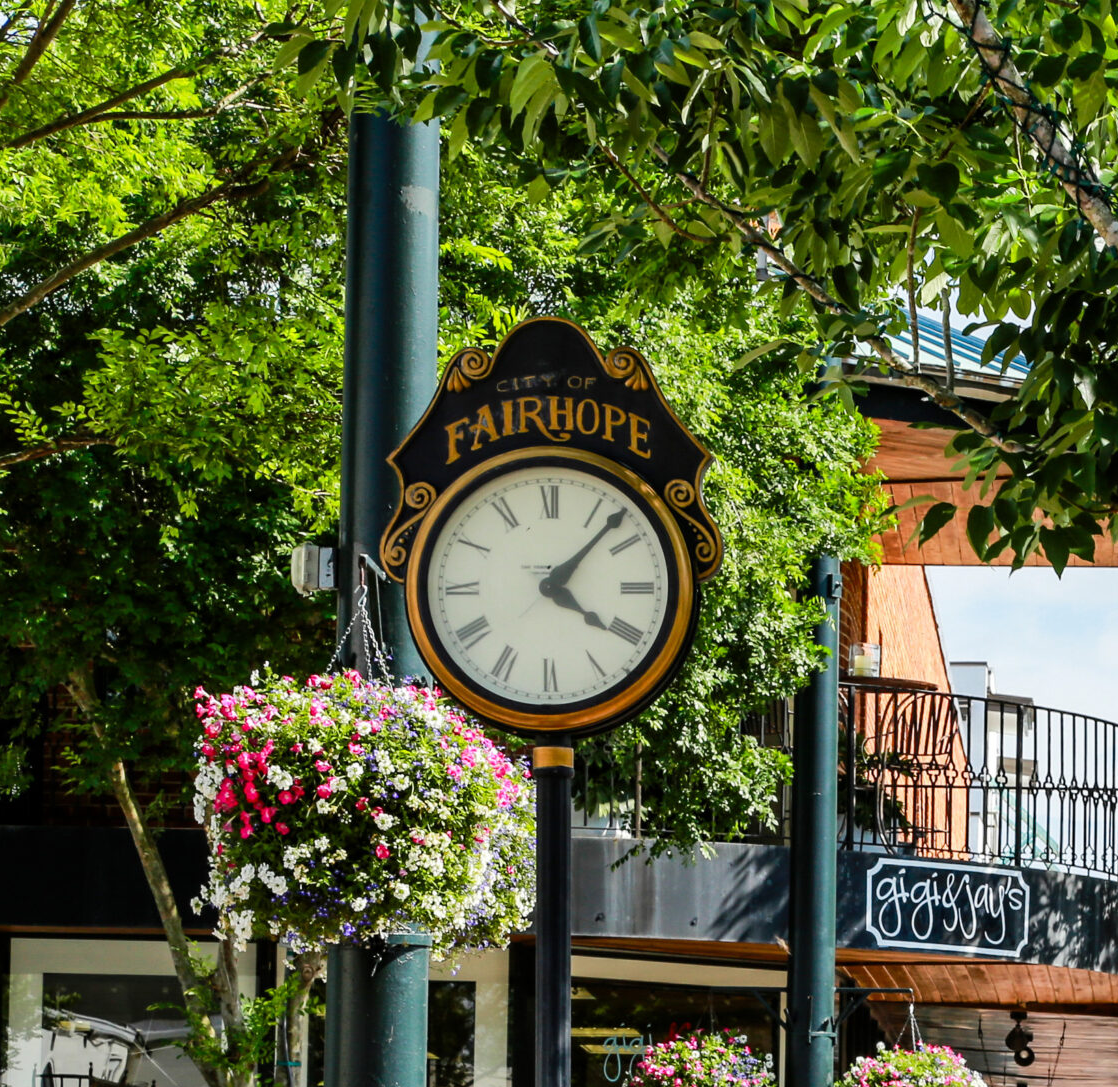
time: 4:07
